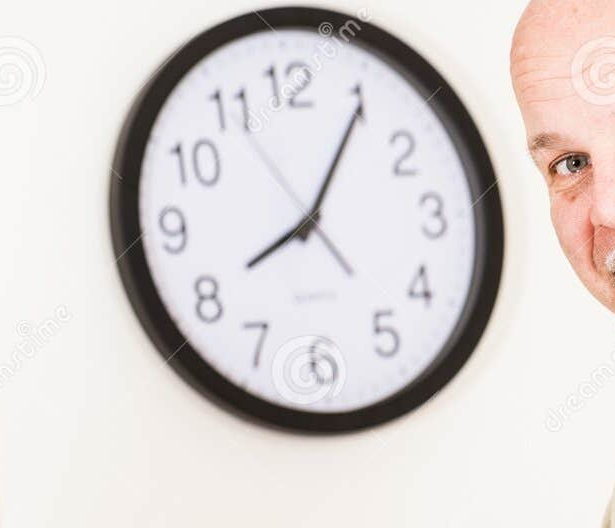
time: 8:05
